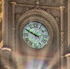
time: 9:49
